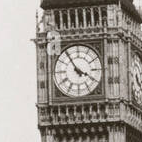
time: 3:54
